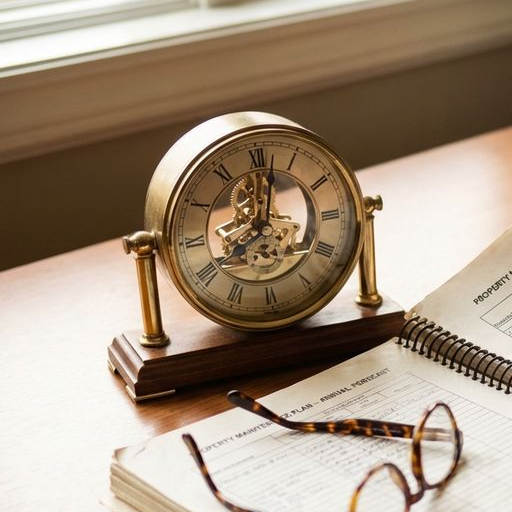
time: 8:01
